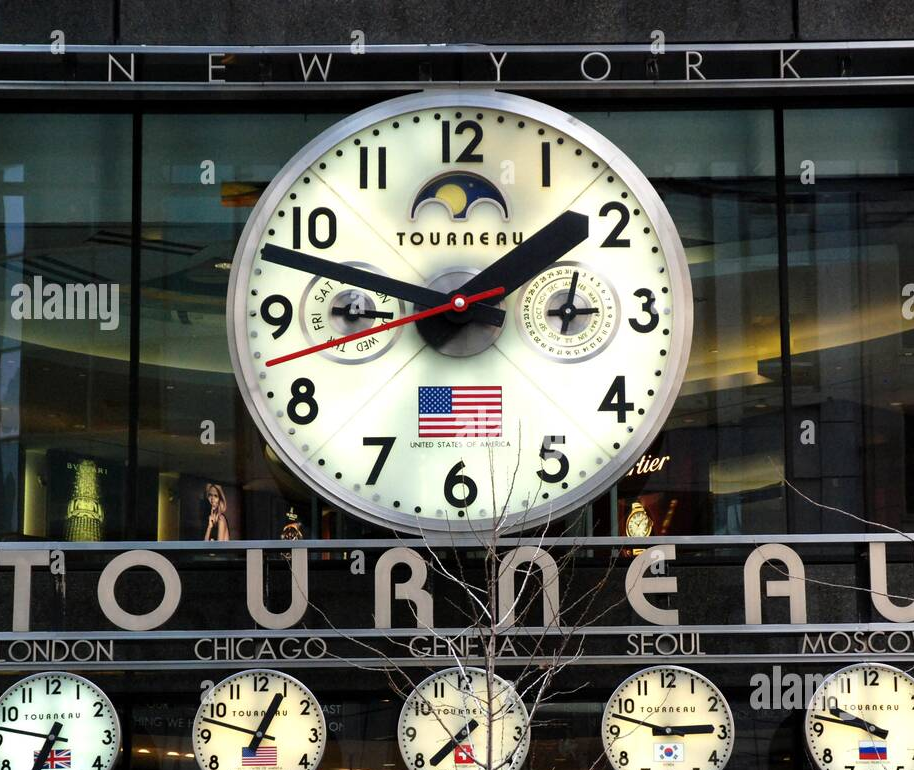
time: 1:47
